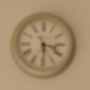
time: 3:29
